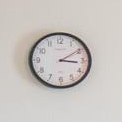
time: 3:09
